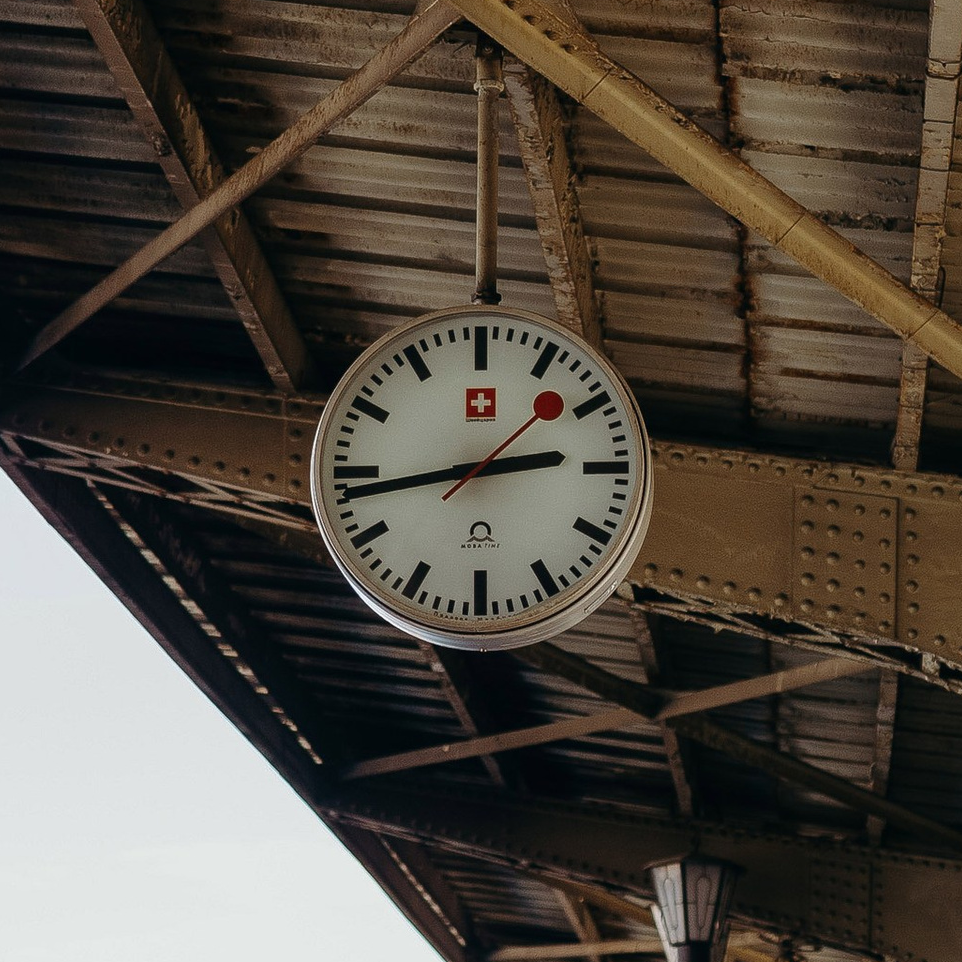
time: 2:43
